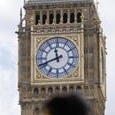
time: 11:41
